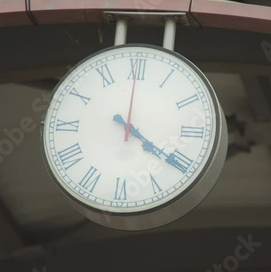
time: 4:20
